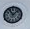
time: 11:07
